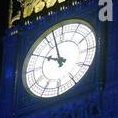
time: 9:57
